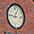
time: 12:46
